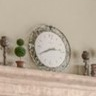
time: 2:40
